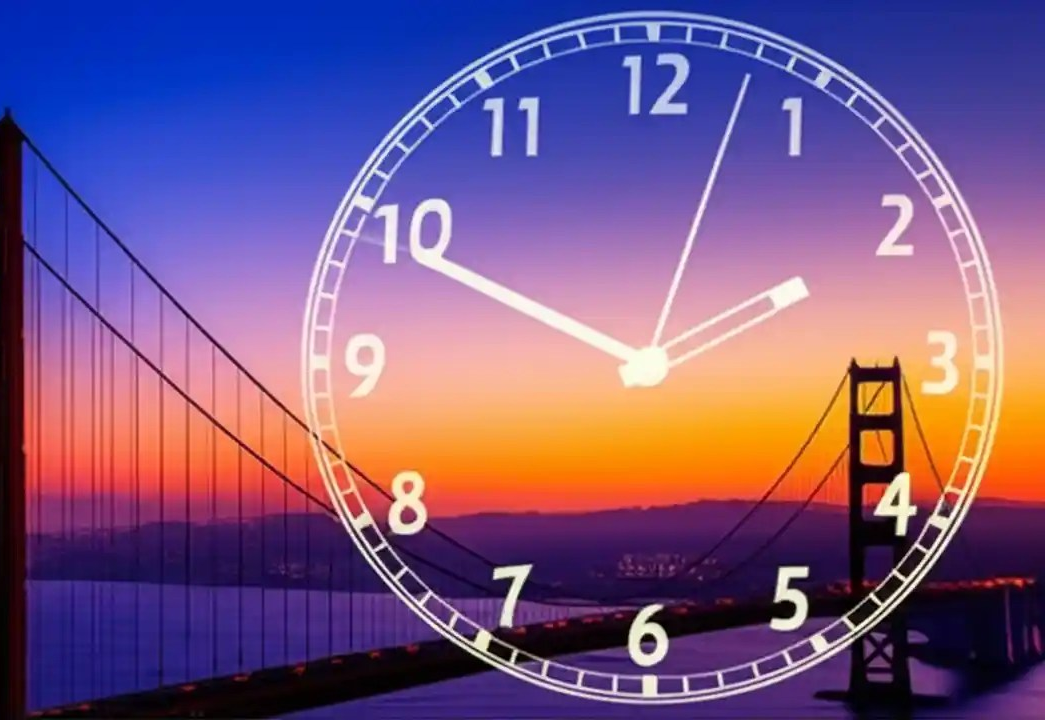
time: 1:49
